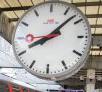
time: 8:07
